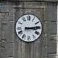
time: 3:13
